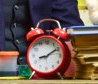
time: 8:09
